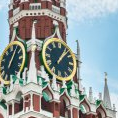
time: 1:07
